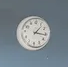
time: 1:15
